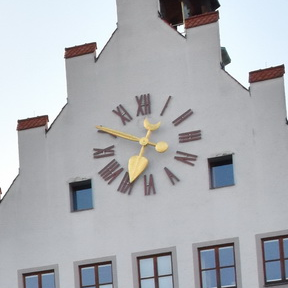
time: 12:49
